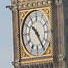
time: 10:24
